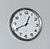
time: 12:40
